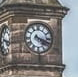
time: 4:18
